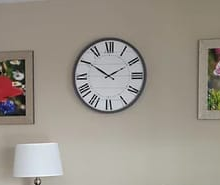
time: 1:50
